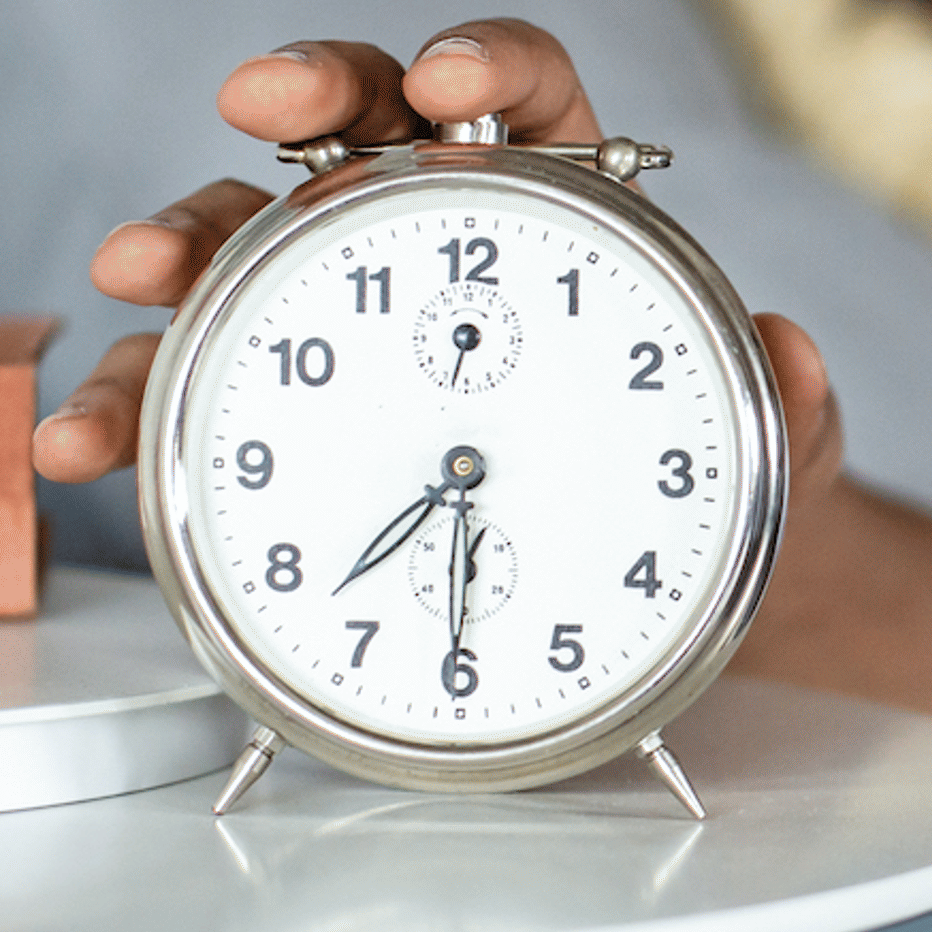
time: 7:30
